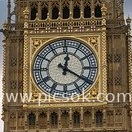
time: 12:20
